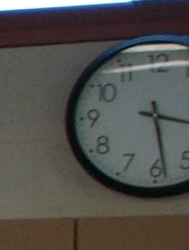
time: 3:28
